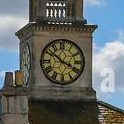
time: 3:51
